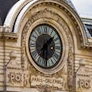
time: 1:30
